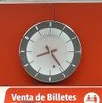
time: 8:23
